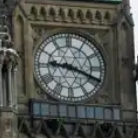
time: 9:18
